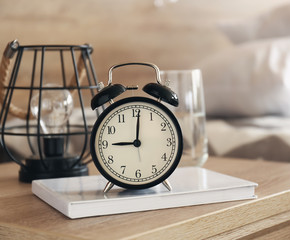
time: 9:01
